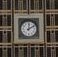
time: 12:09
